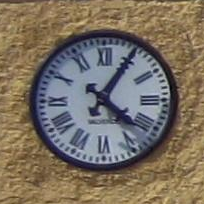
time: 4:05
